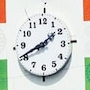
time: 1:41
